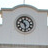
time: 10:28
